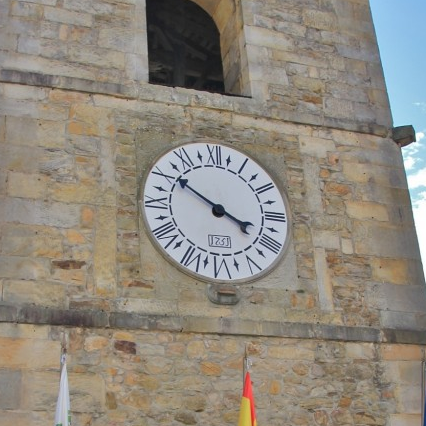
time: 3:50
